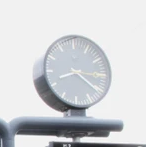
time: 8:20
